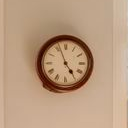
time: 4:56
